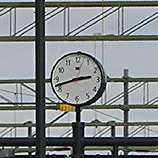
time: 2:42
